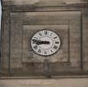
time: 8:47
